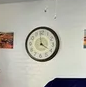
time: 3:58
